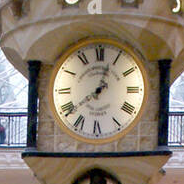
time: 12:38
